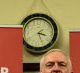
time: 3:26
